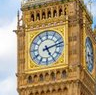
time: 5:12
